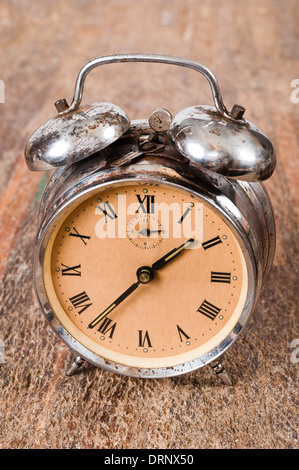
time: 1:36
